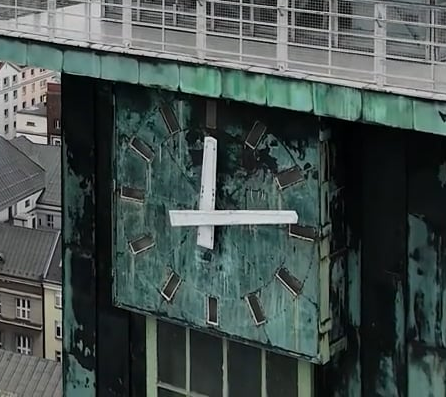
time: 12:13
